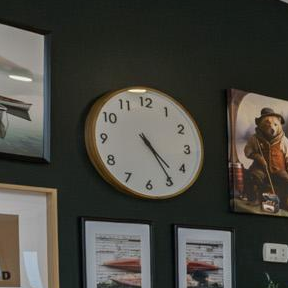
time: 4:24
